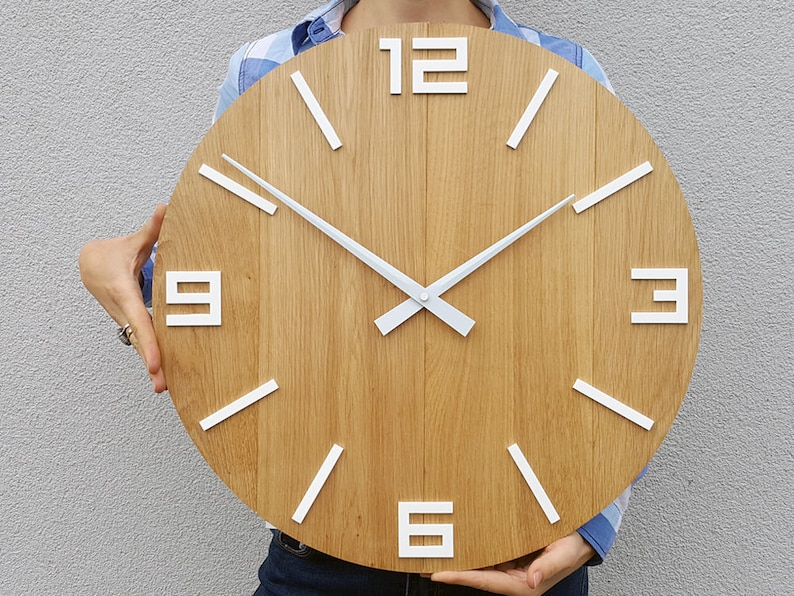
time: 1:50
